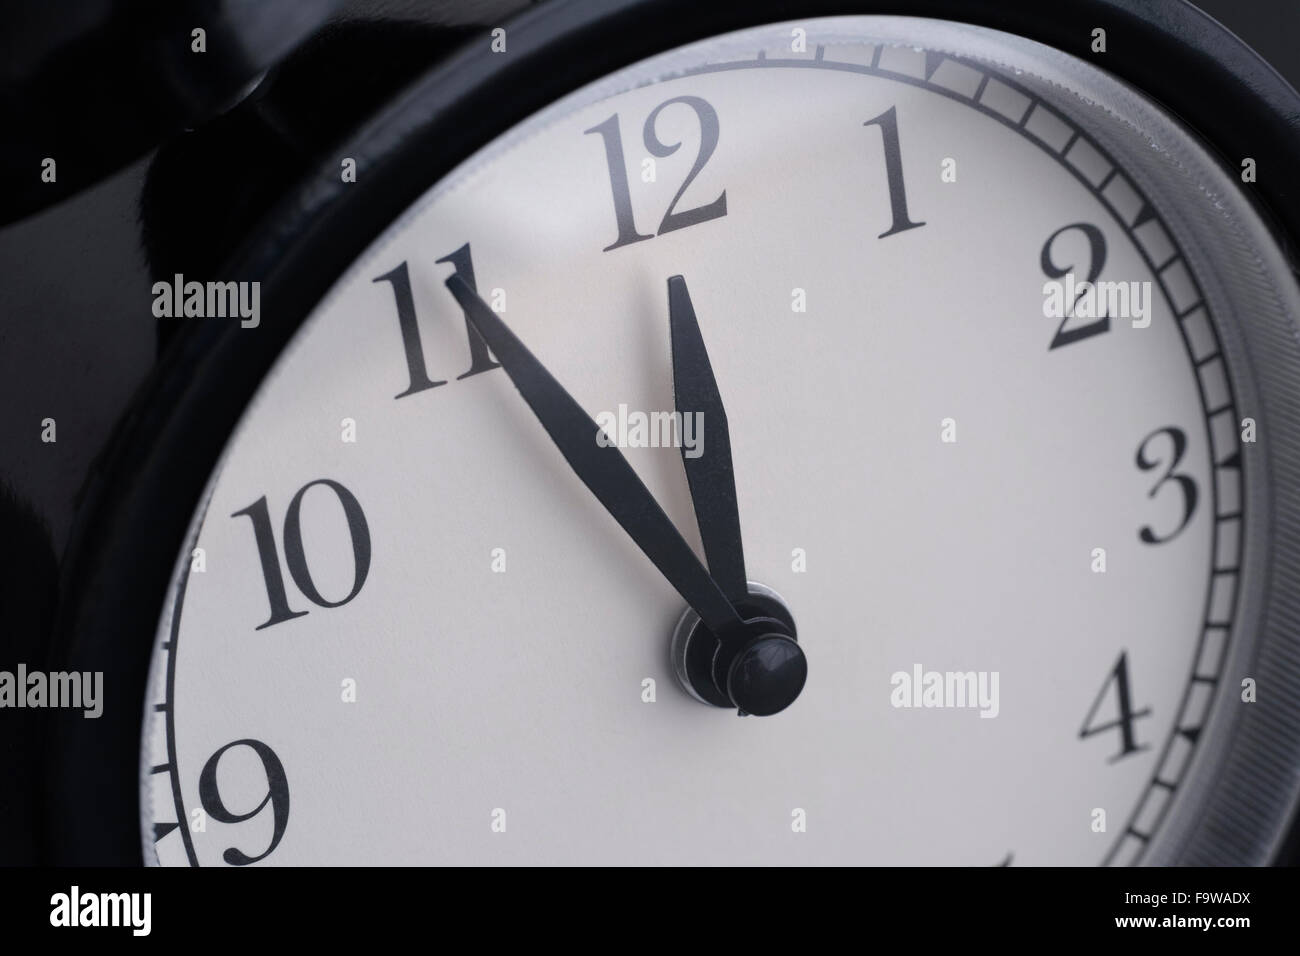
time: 11:55
